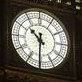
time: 10:30
